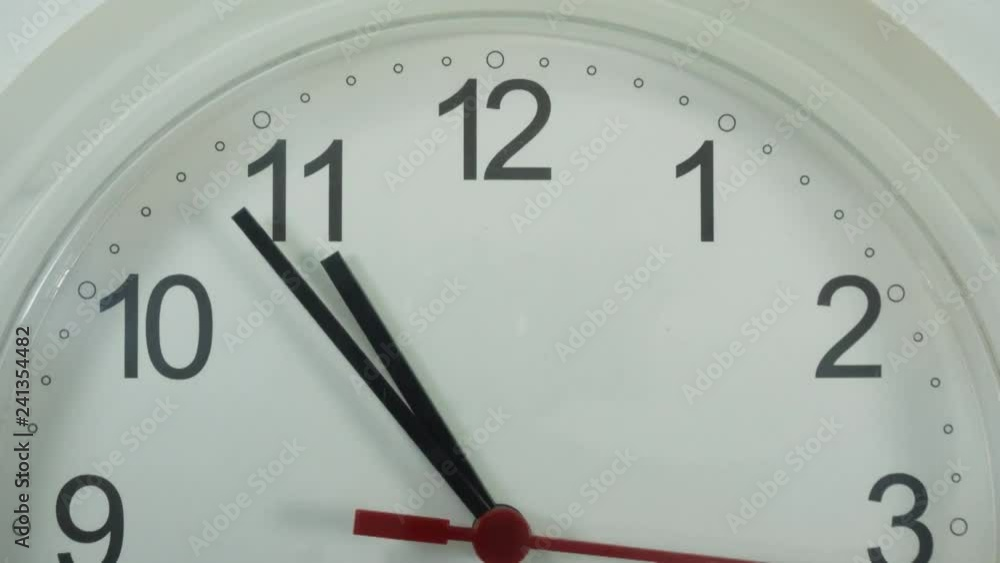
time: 10:53
